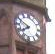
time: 7:49
